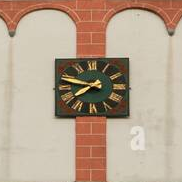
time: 7:47
